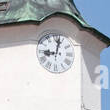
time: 9:01
